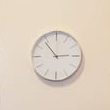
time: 2:53
